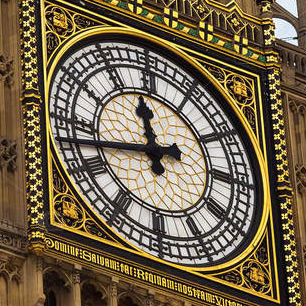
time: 11:42
